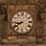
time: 8:39
